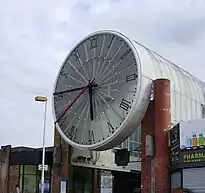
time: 5:45
